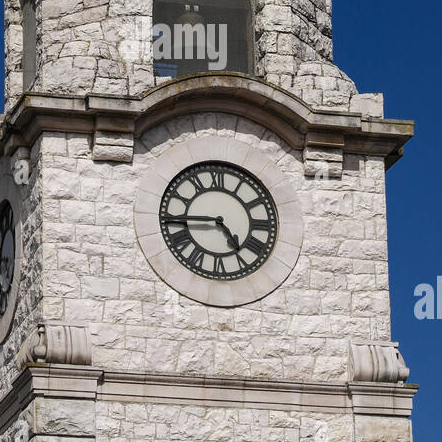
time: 4:44
